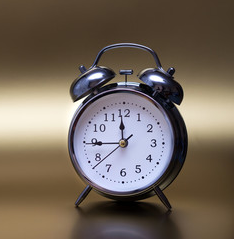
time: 11:44
